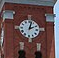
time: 2:02
